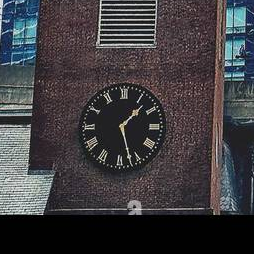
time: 1:27
